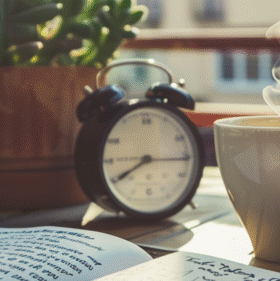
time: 8:15
